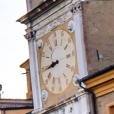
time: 8:44
